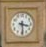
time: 3:29
